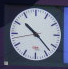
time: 10:22
